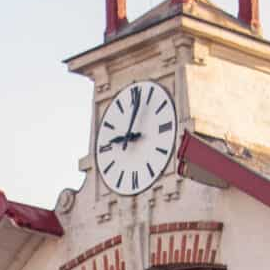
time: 9:02
